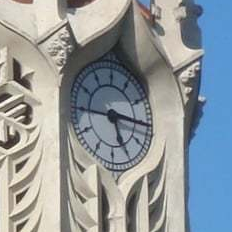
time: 5:15
